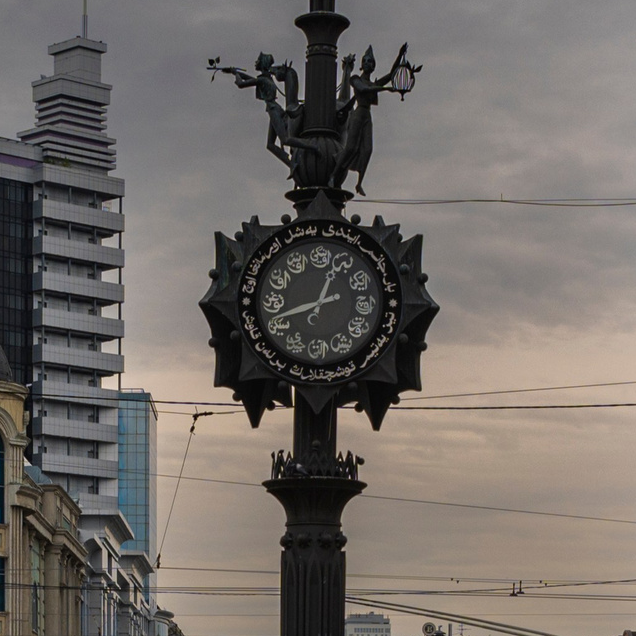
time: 12:41
